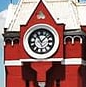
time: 11:07
